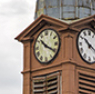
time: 10:20
